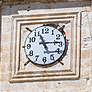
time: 11:14
